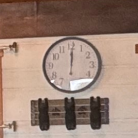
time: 12:00
